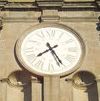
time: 7:24
